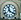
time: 11:20
